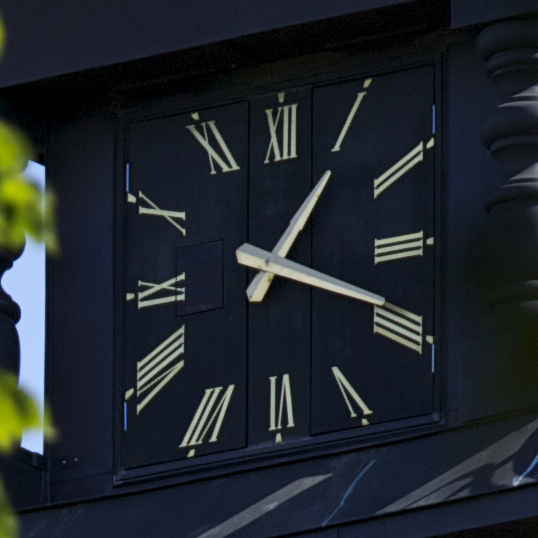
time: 1:18
